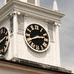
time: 2:40
